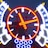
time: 11:12
